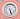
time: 5:26
